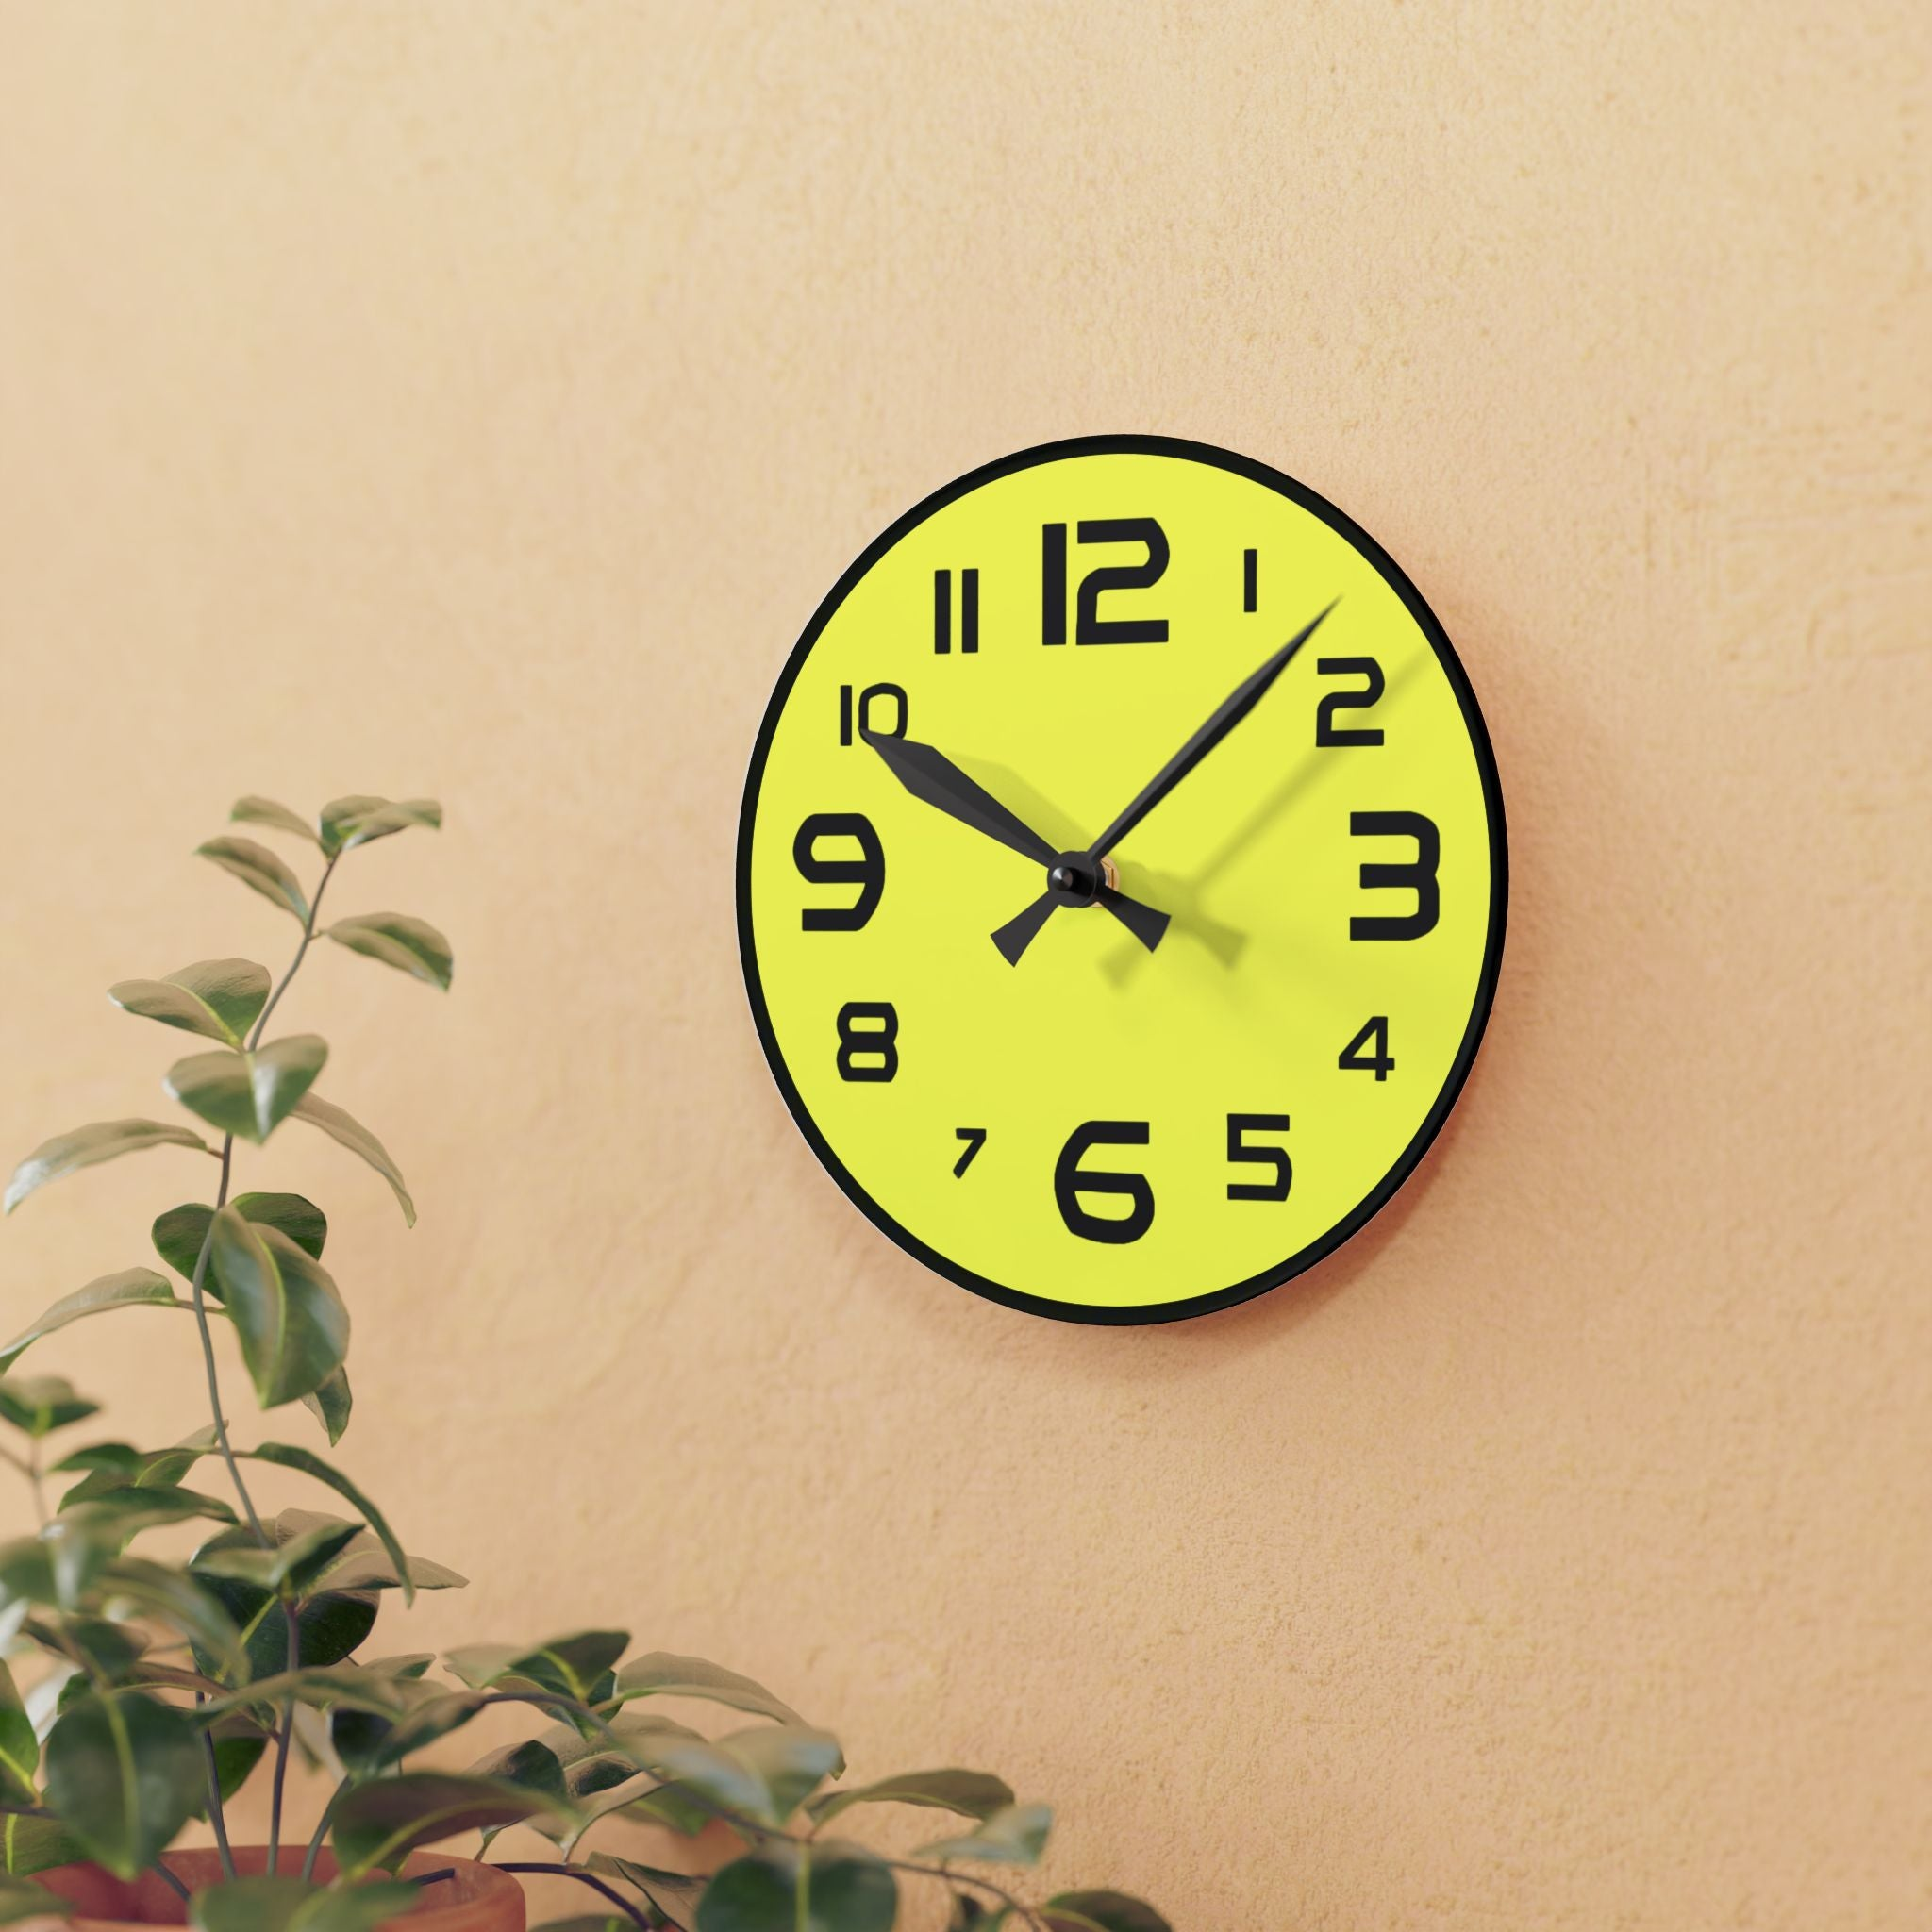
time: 10:07
